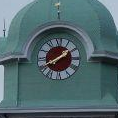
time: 1:40
